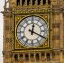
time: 12:19
